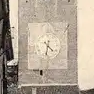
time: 4:32
